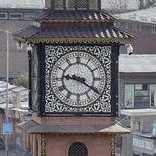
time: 9:21
